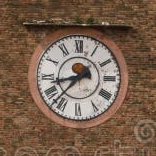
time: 8:37
